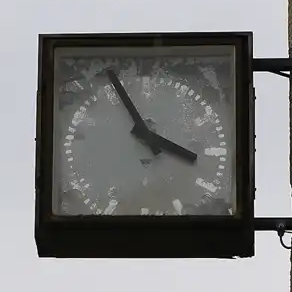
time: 3:55
